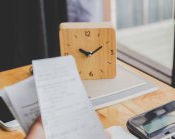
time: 9:10
